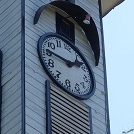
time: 1:46
